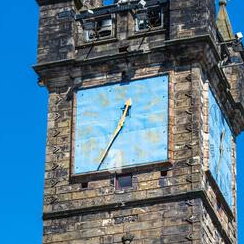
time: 12:34
